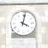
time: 4:02
